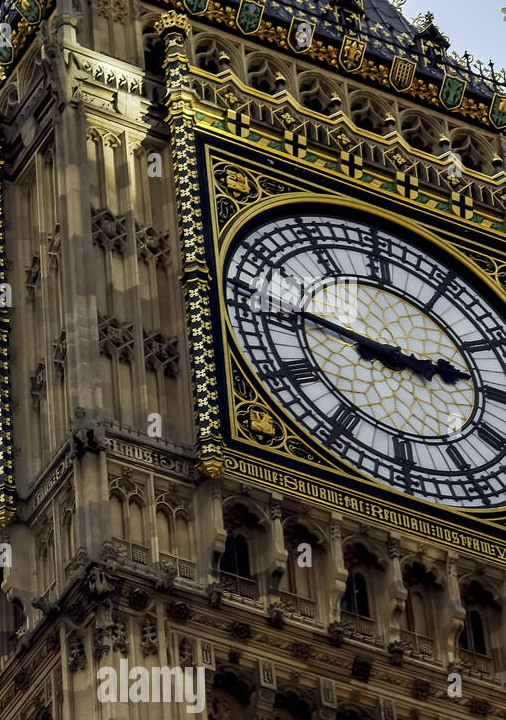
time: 2:46
